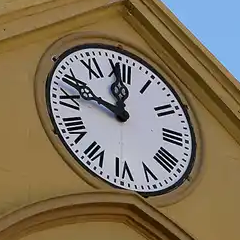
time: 11:46
